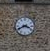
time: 3:40
